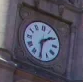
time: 1:30
